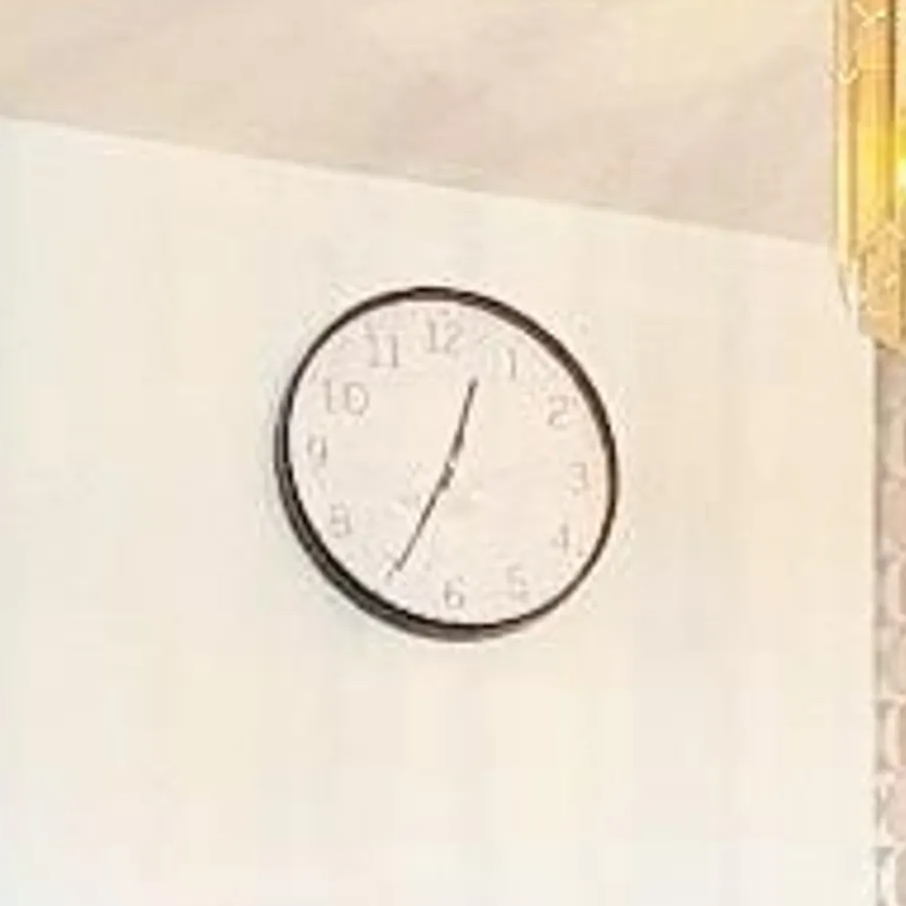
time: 12:34
